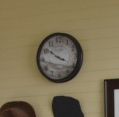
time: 3:51
